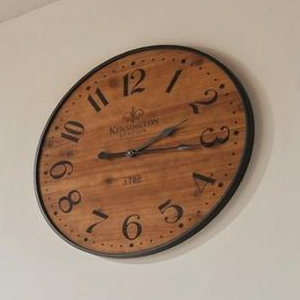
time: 2:15
